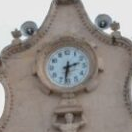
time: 2:31
